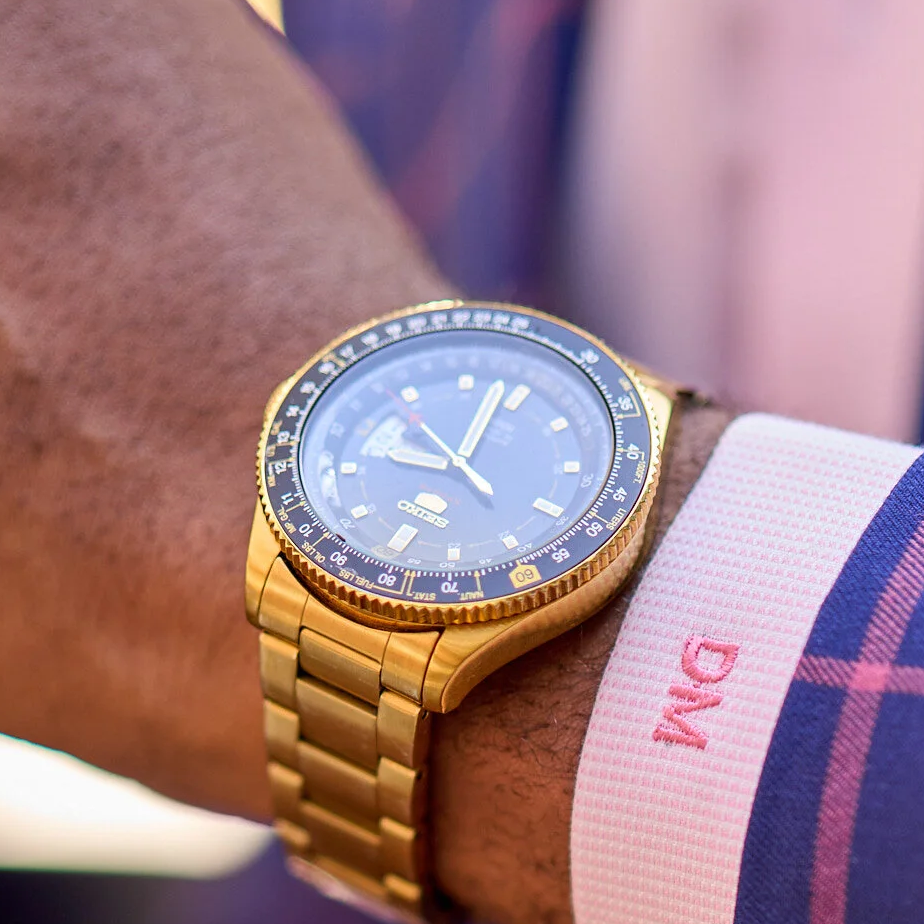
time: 10:03
